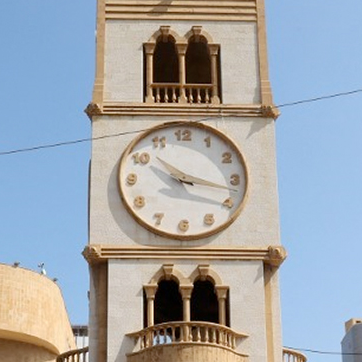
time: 10:17
